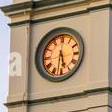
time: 5:31
